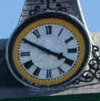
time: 3:49
